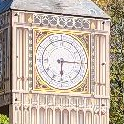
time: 6:15
